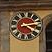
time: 4:12
